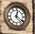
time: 12:21
